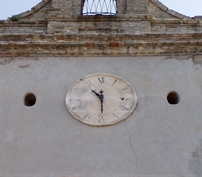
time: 10:29
